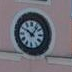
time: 10:06
